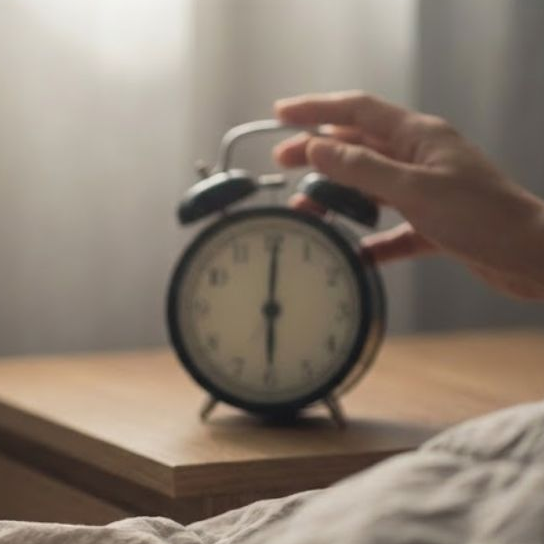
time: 6:00
